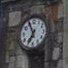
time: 6:55
